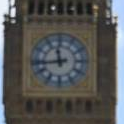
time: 11:43
